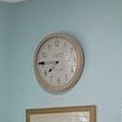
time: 7:45
